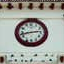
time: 2:42
